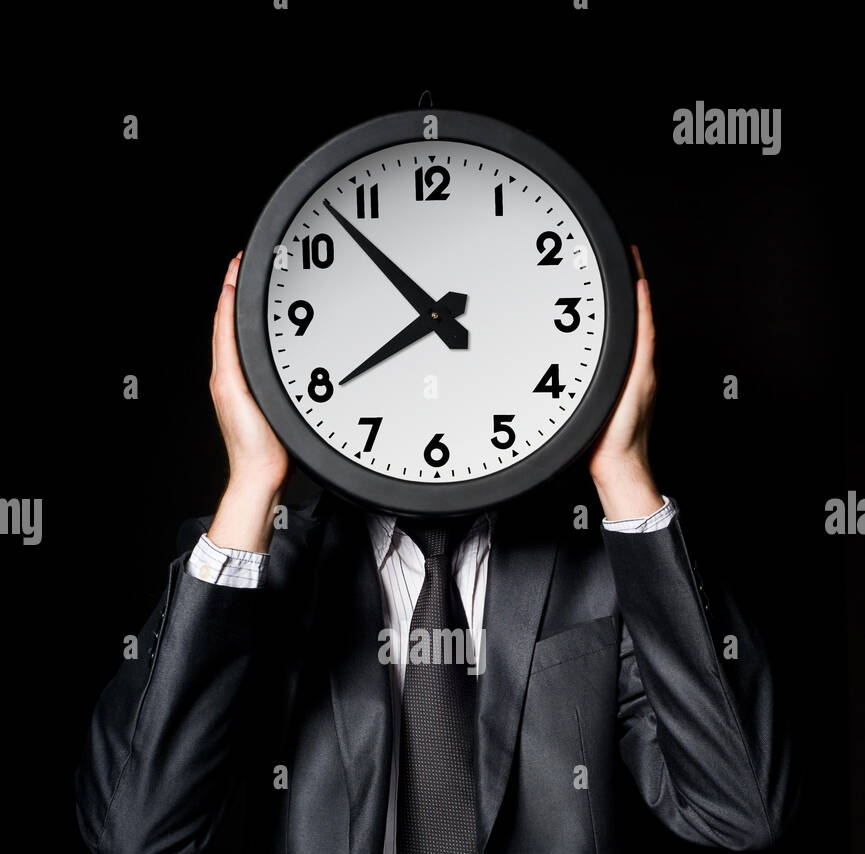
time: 7:52
